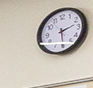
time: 2:29
